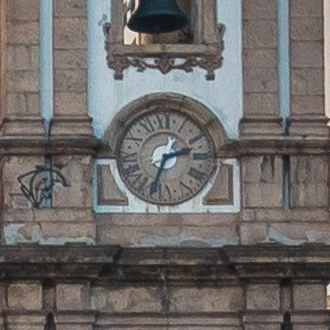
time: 2:33
